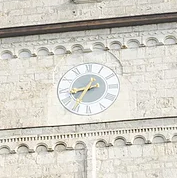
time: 8:35
